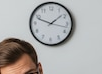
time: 1:48
